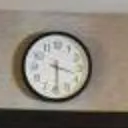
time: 3:29
